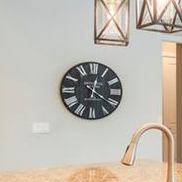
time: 12:21
